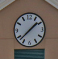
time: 1:37
